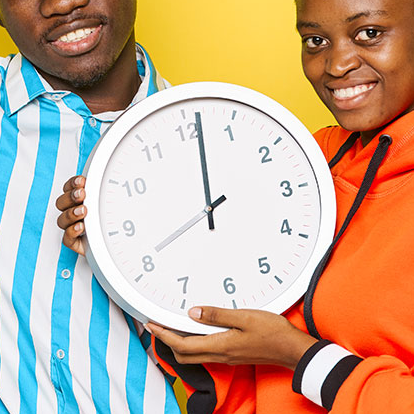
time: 8:01
